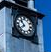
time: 10:37
